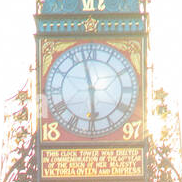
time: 5:57
